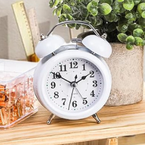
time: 1:50
